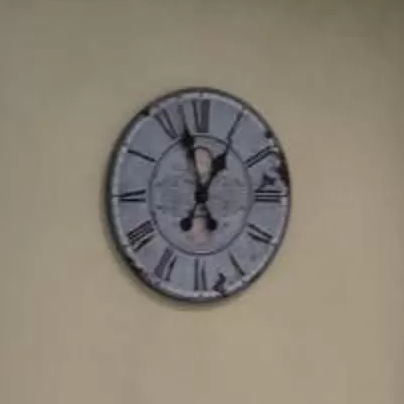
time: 12:57
